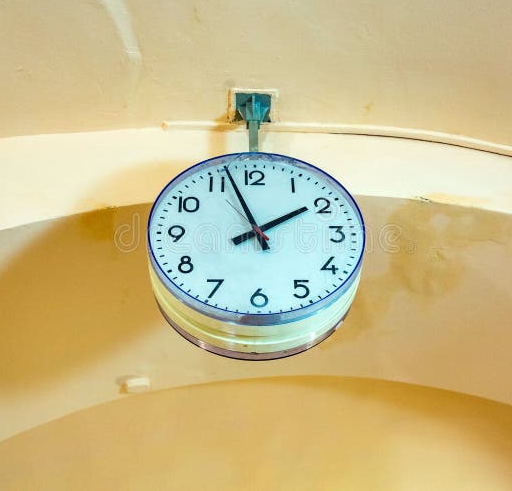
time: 1:56
